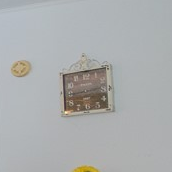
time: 2:44
